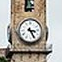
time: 3:25
